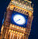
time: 7:37
